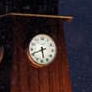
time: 5:41
